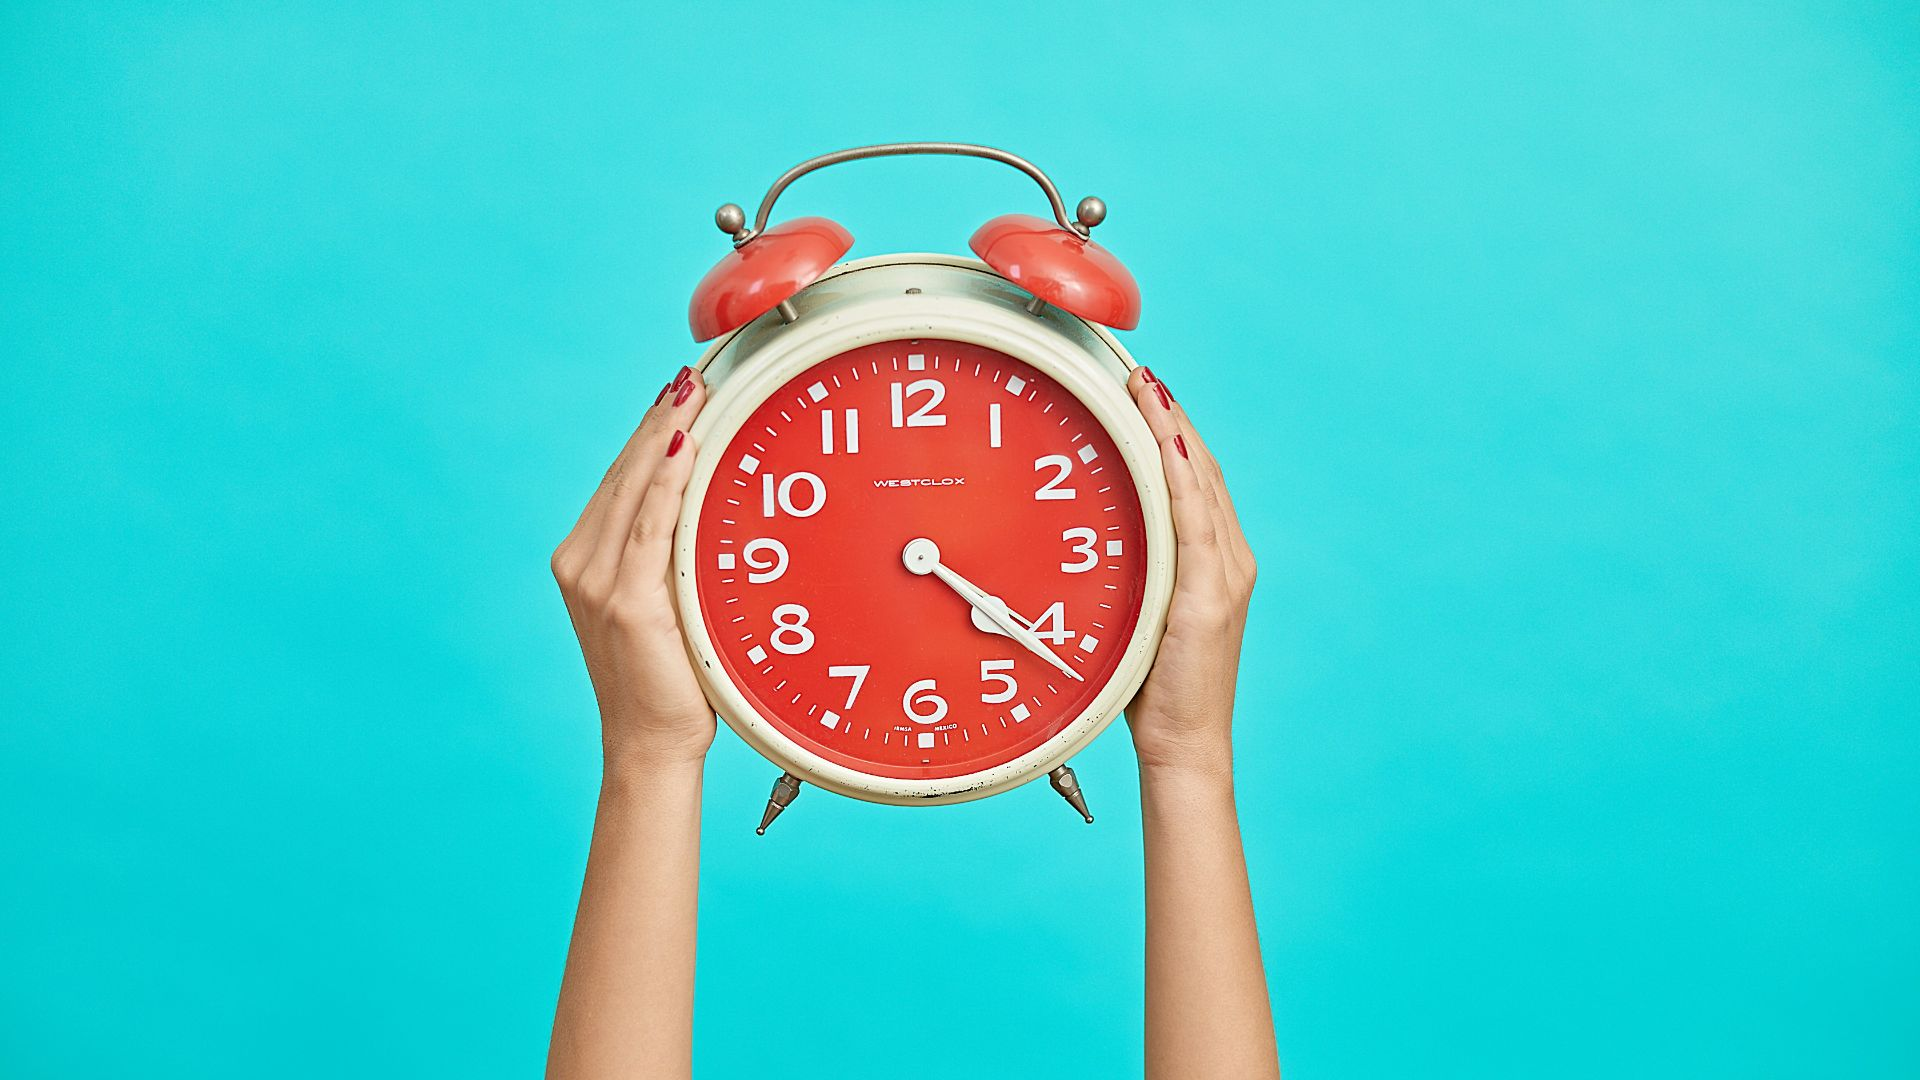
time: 4:20
